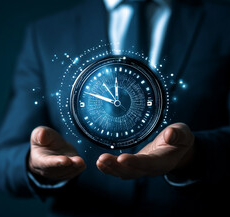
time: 11:48
